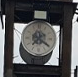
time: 7:20
